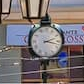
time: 2:17
